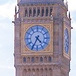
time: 4:34
